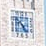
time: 4:52
